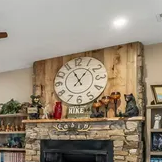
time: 11:07
